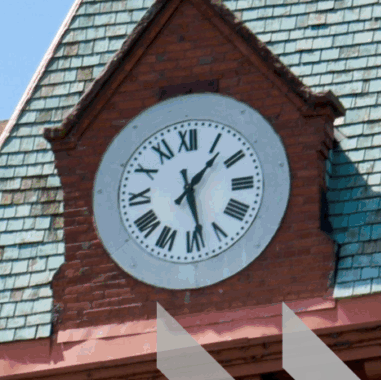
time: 1:28
